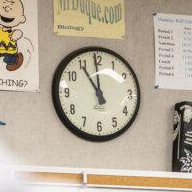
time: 10:59
